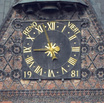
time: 8:57
